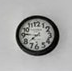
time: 7:45
